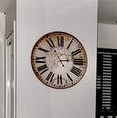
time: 2:55
